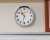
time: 10:31
